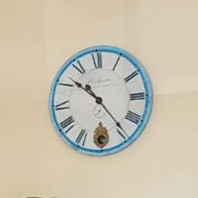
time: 10:23
